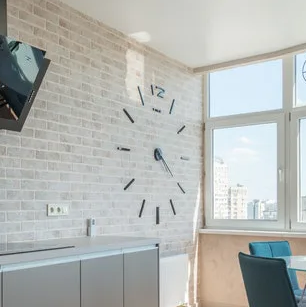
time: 4:20
